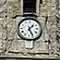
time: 1:26
